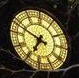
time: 6:48
